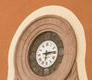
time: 6:14
